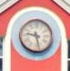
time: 9:28
